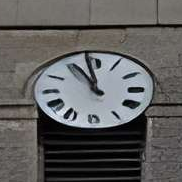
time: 10:58
